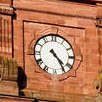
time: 4:24
